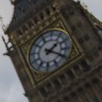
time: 1:18
